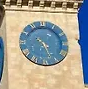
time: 10:26
